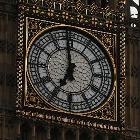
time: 6:58
